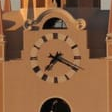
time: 7:19
